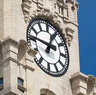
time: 12:46
